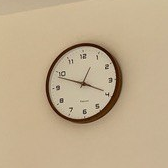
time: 3:48
